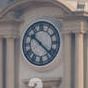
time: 10:22
